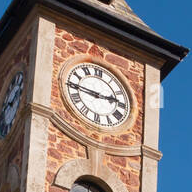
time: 2:45
